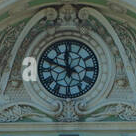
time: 11:48
